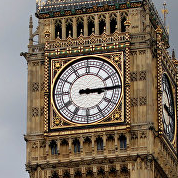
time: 3:14
